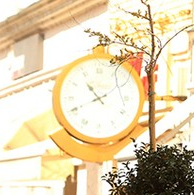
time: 10:41
